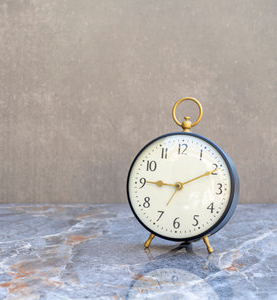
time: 9:10
